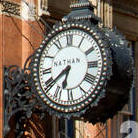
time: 6:39
